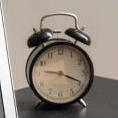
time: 9:19
